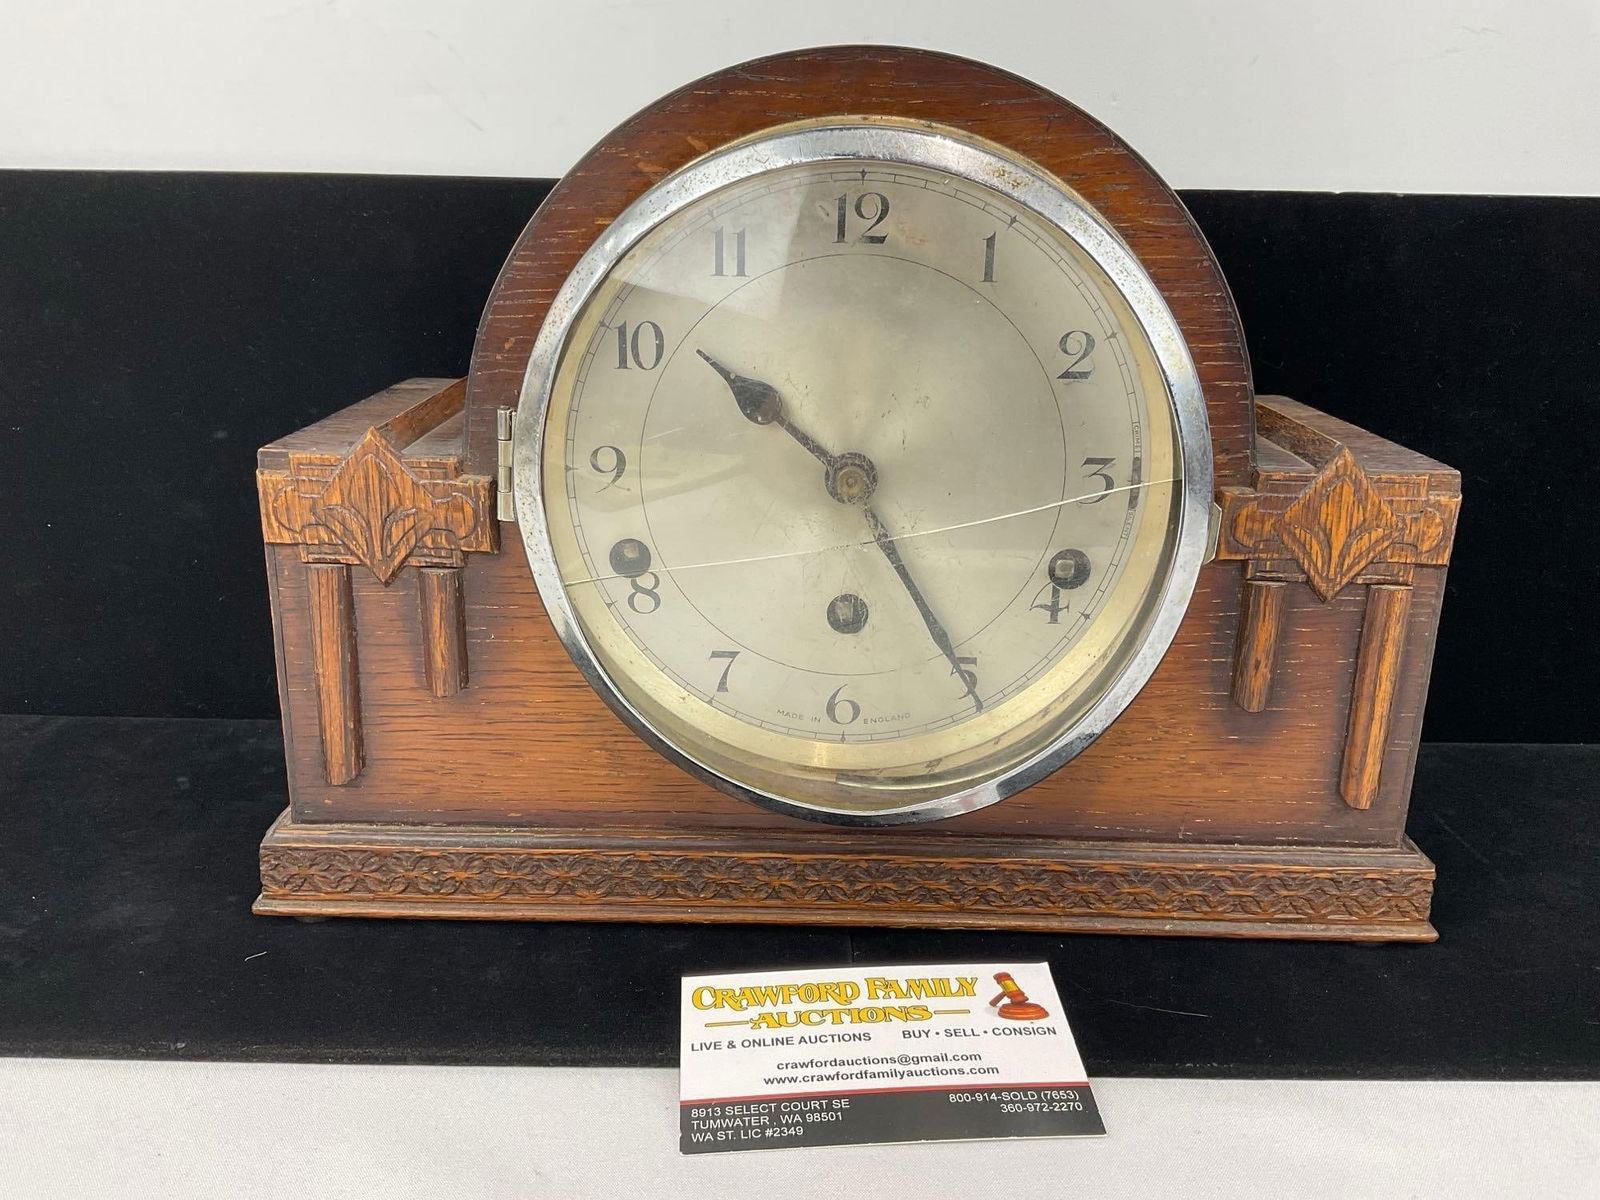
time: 10:24
